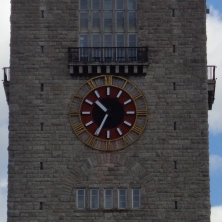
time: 10:34
